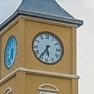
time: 5:35
